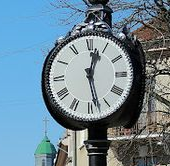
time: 12:28
